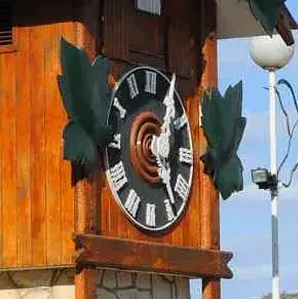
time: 12:24
